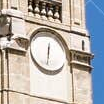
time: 12:32
